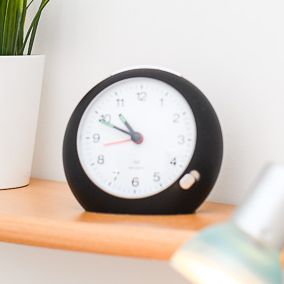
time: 10:49
